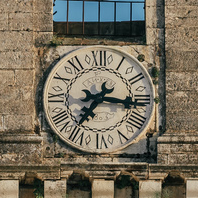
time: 7:15
